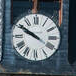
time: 9:50
